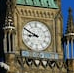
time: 8:49
